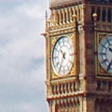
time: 10:34
